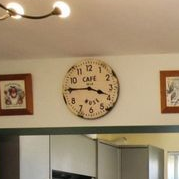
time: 3:45
